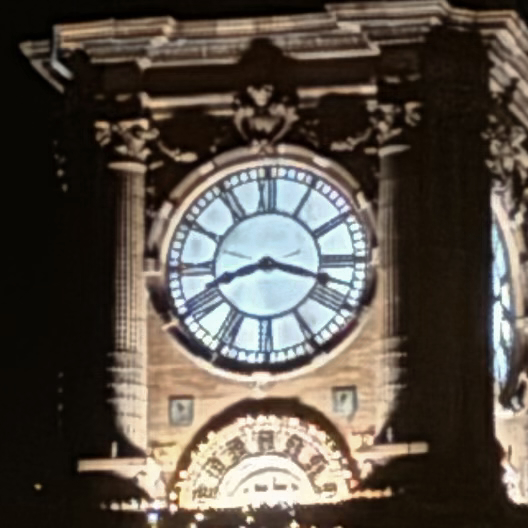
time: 8:17
